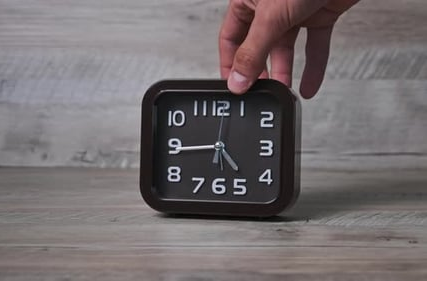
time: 4:44
